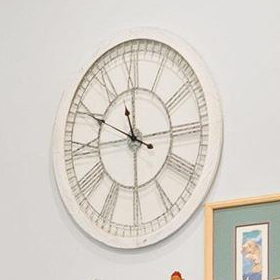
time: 11:49
